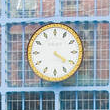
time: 4:20
